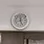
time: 12:26
